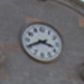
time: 3:40
